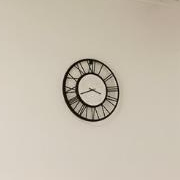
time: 3:41
